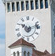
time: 10:12
